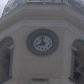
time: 7:58
